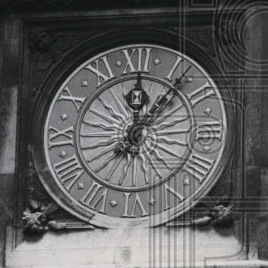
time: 12:06
